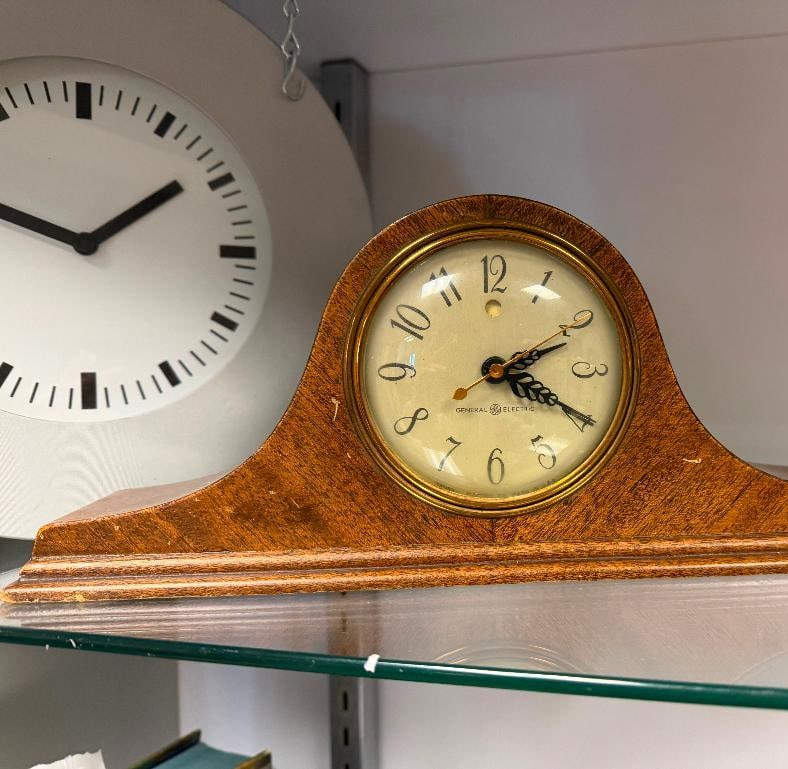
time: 1:47
